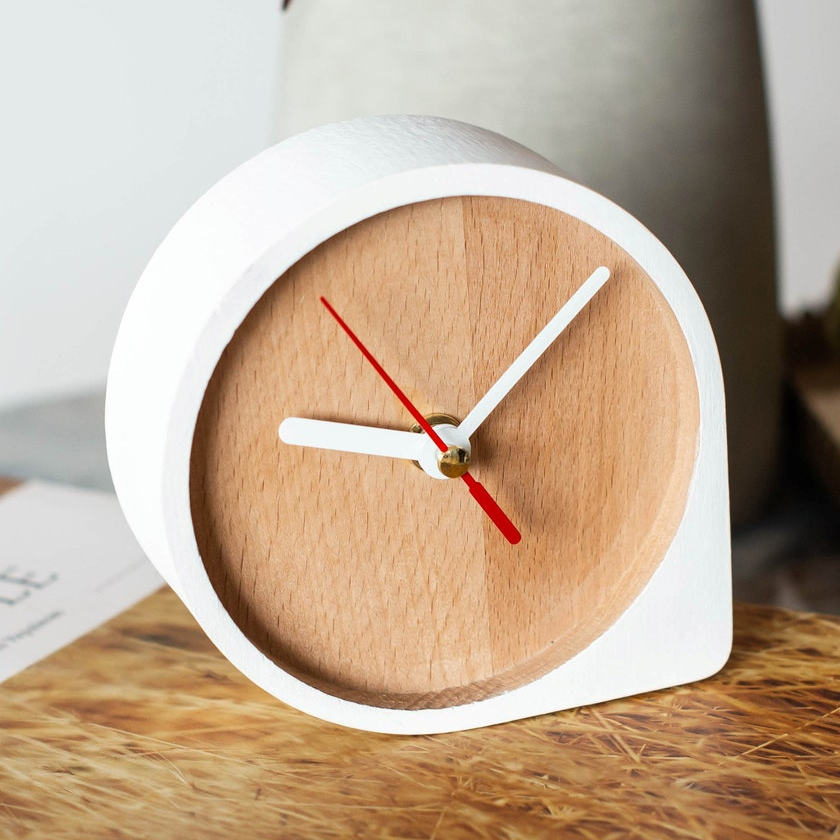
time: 9:07
